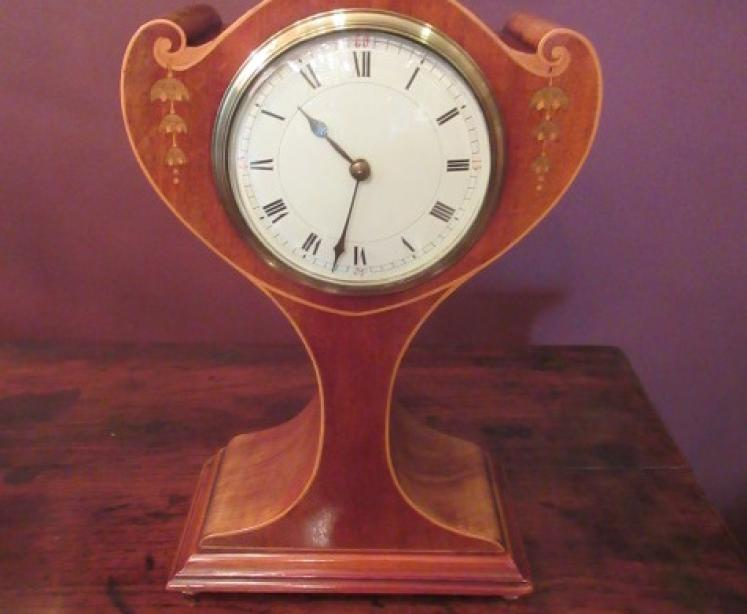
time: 10:32
